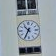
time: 10:34
